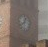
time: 12:38
